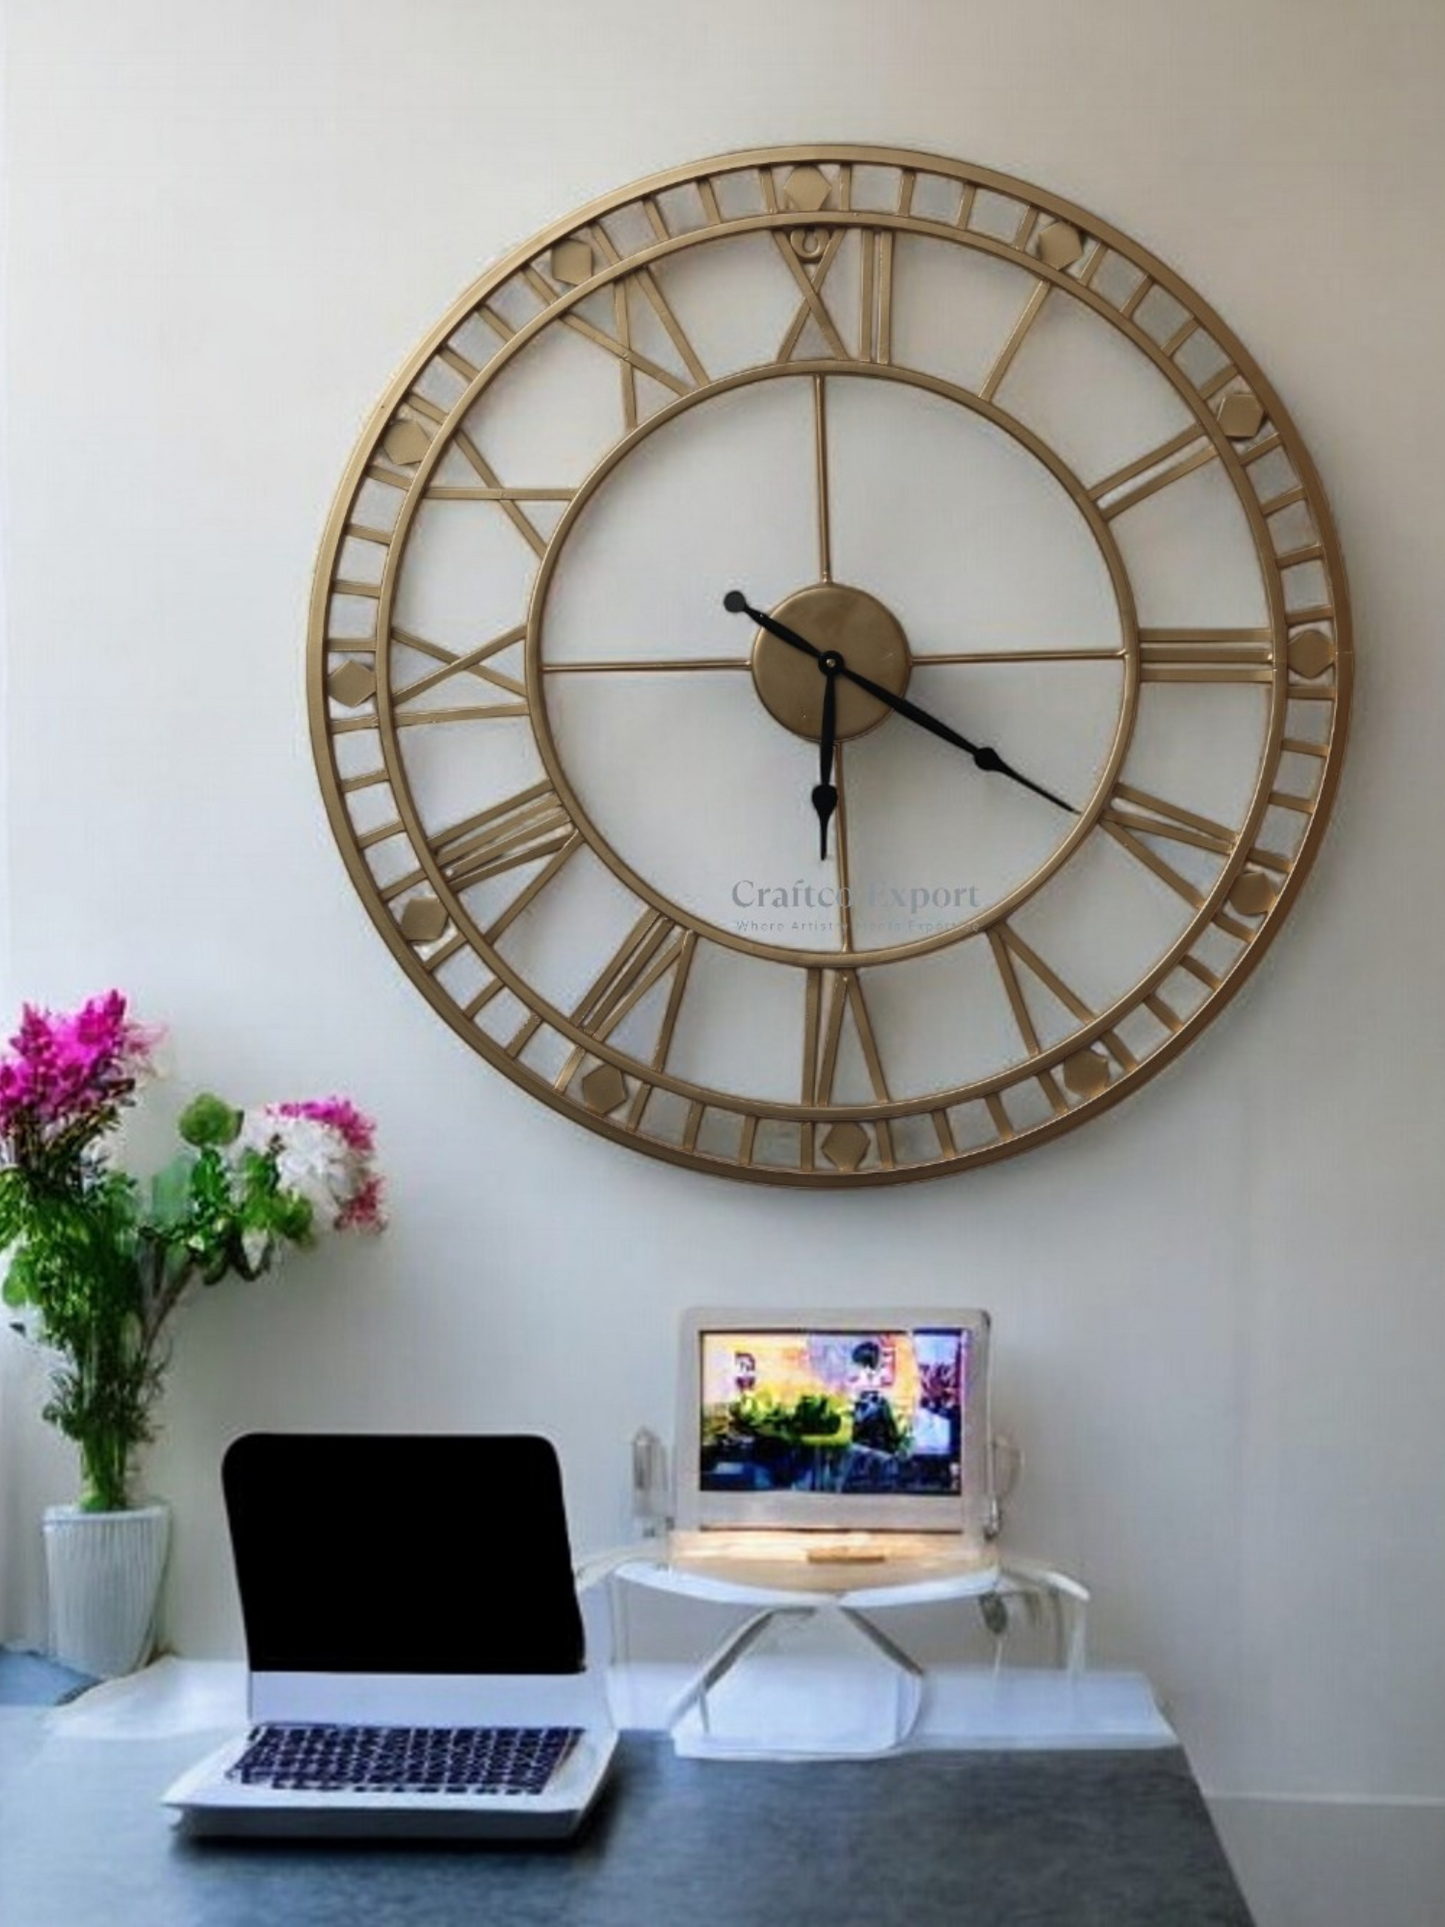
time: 6:20
